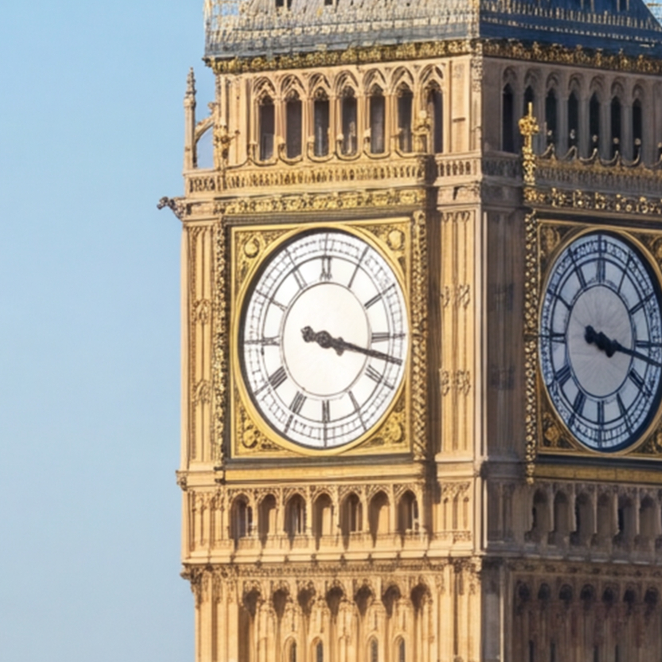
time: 3:17
